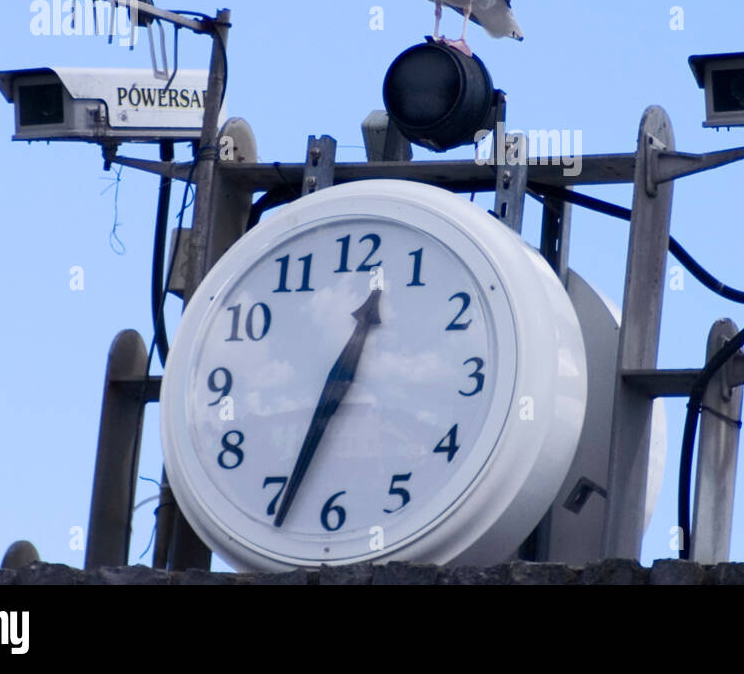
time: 12:33
